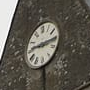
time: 9:15
